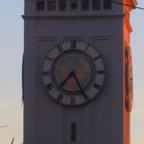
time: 7:25
